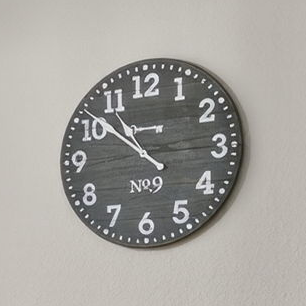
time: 10:51
